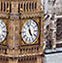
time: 4:57
